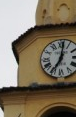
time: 7:01
